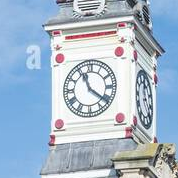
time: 11:21
